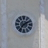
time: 7:09
